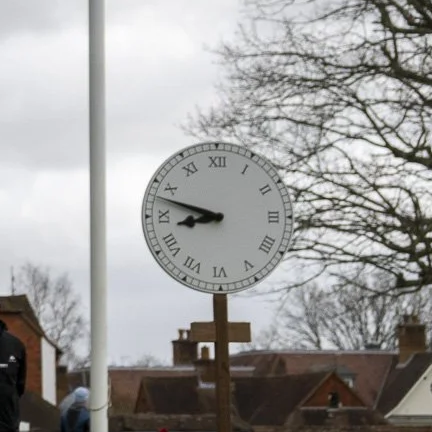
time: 8:48
